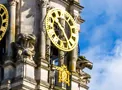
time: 10:25
